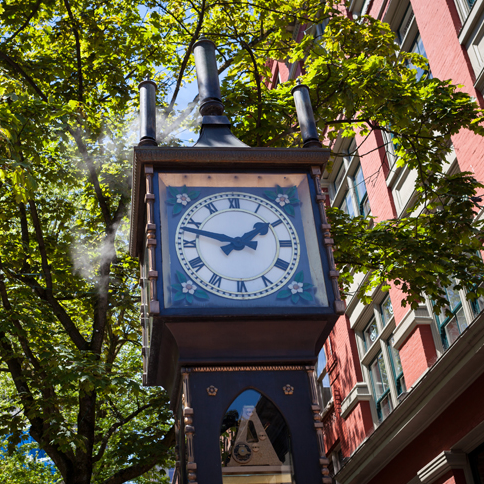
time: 1:47
